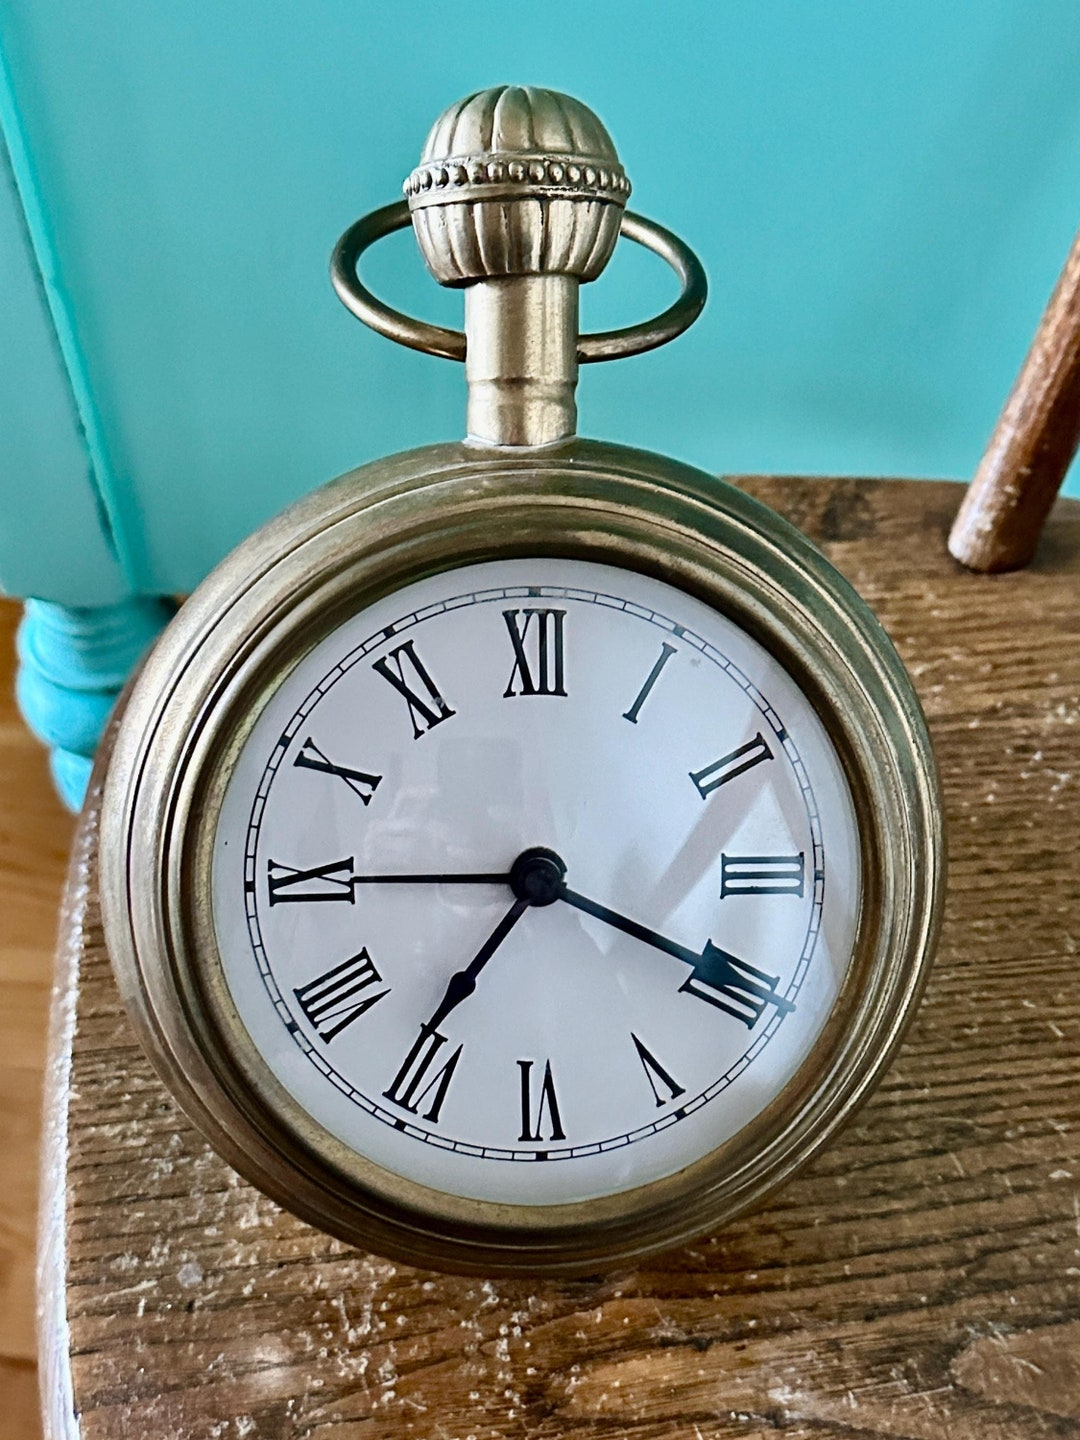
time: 7:19
